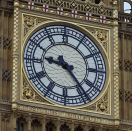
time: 9:23
